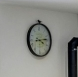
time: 4:13
